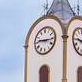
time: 9:15
